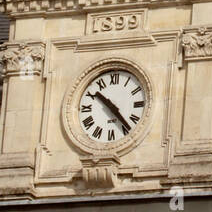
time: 10:23
